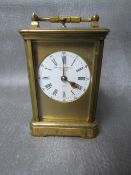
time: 4:00
